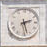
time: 2:27
